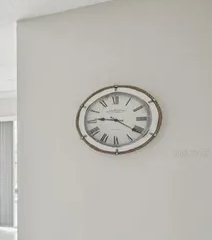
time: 9:20
